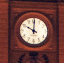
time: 10:00
